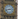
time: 2:42
